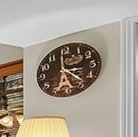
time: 3:23
